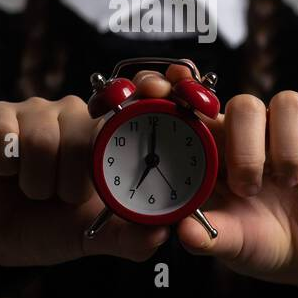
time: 7:00
